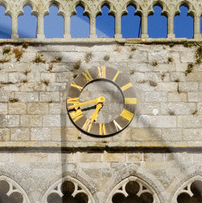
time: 8:34
